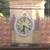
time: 6:18
